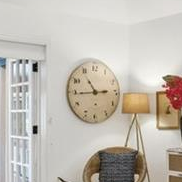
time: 10:44
